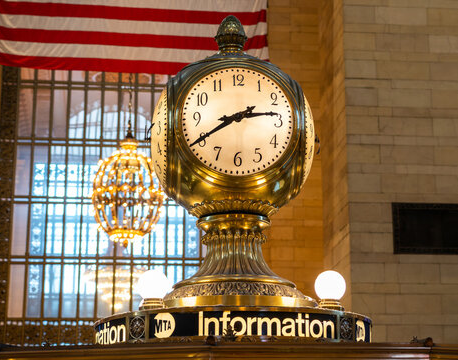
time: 2:40
